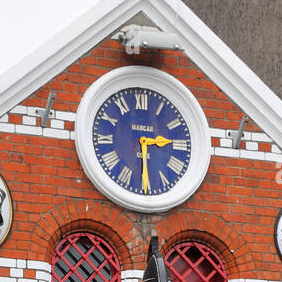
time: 2:29
